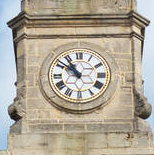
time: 10:51
